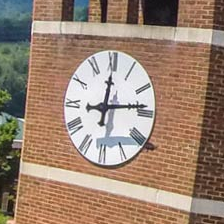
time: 6:13
